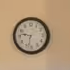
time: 9:32
